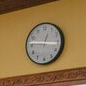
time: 12:46
